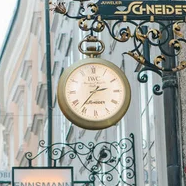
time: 2:36
